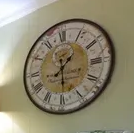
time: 1:29
